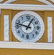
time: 12:47
